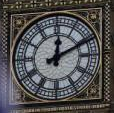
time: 12:10
